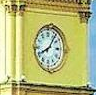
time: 8:06
